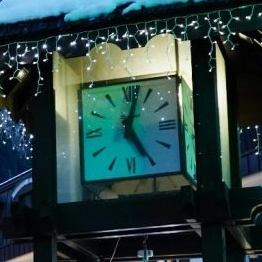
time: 5:02
